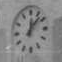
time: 12:07
